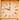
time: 9:01
